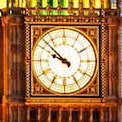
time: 9:52
